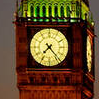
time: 7:23
